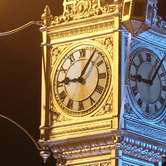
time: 9:05
